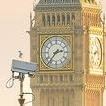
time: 2:36
